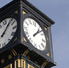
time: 1:07
